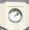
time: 2:07
